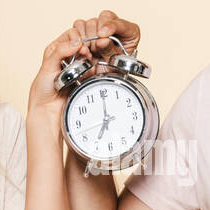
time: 7:00
